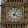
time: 4:04
